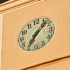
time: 7:07
